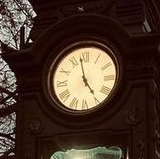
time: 4:57
